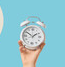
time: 1:50
